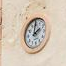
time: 2:00
